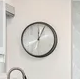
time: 12:04
